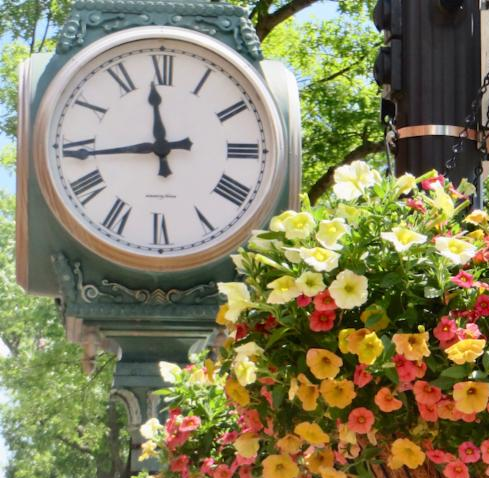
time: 11:43
